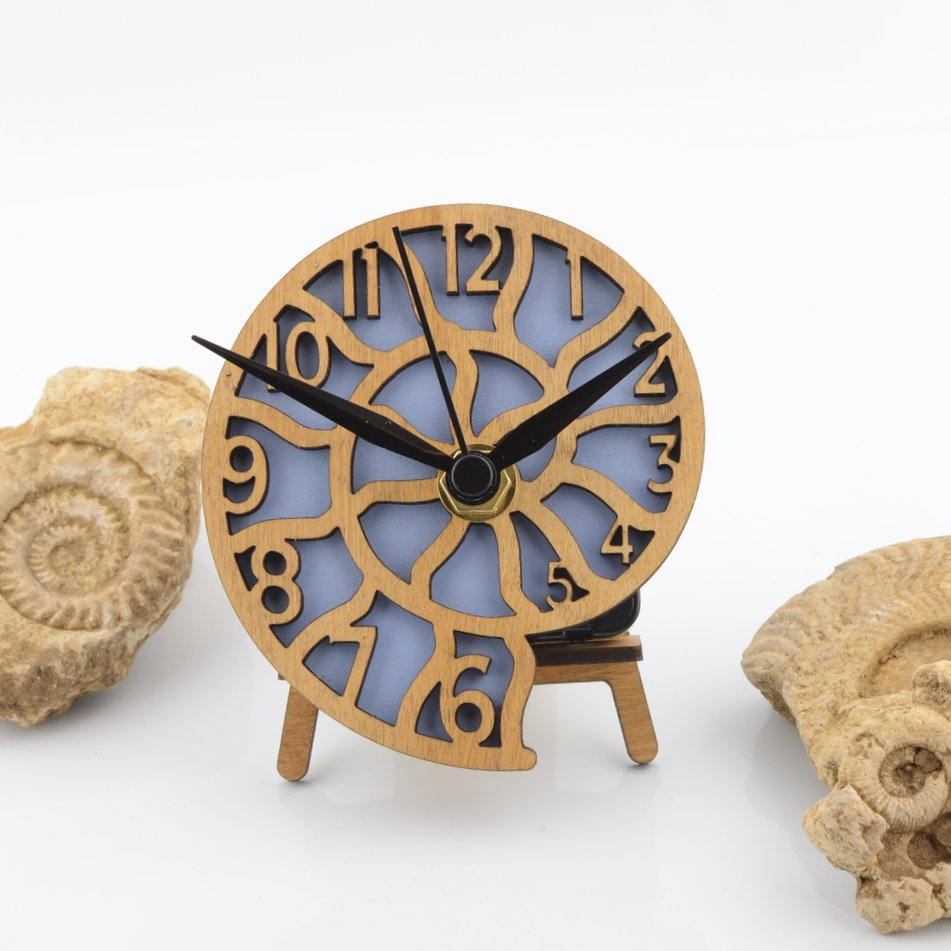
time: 1:48
